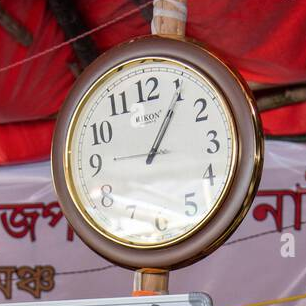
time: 1:05
